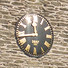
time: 11:44
